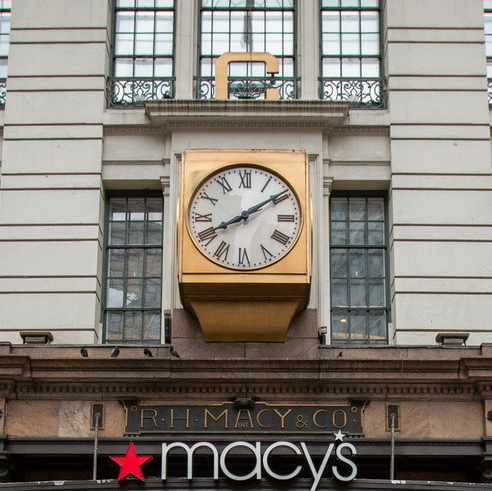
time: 8:09
